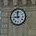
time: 8:58
